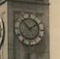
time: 1:52
